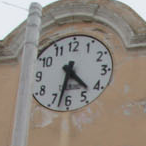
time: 4:32
